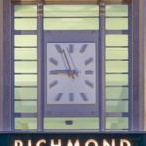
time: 8:56
